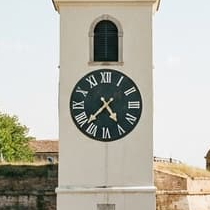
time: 4:37
